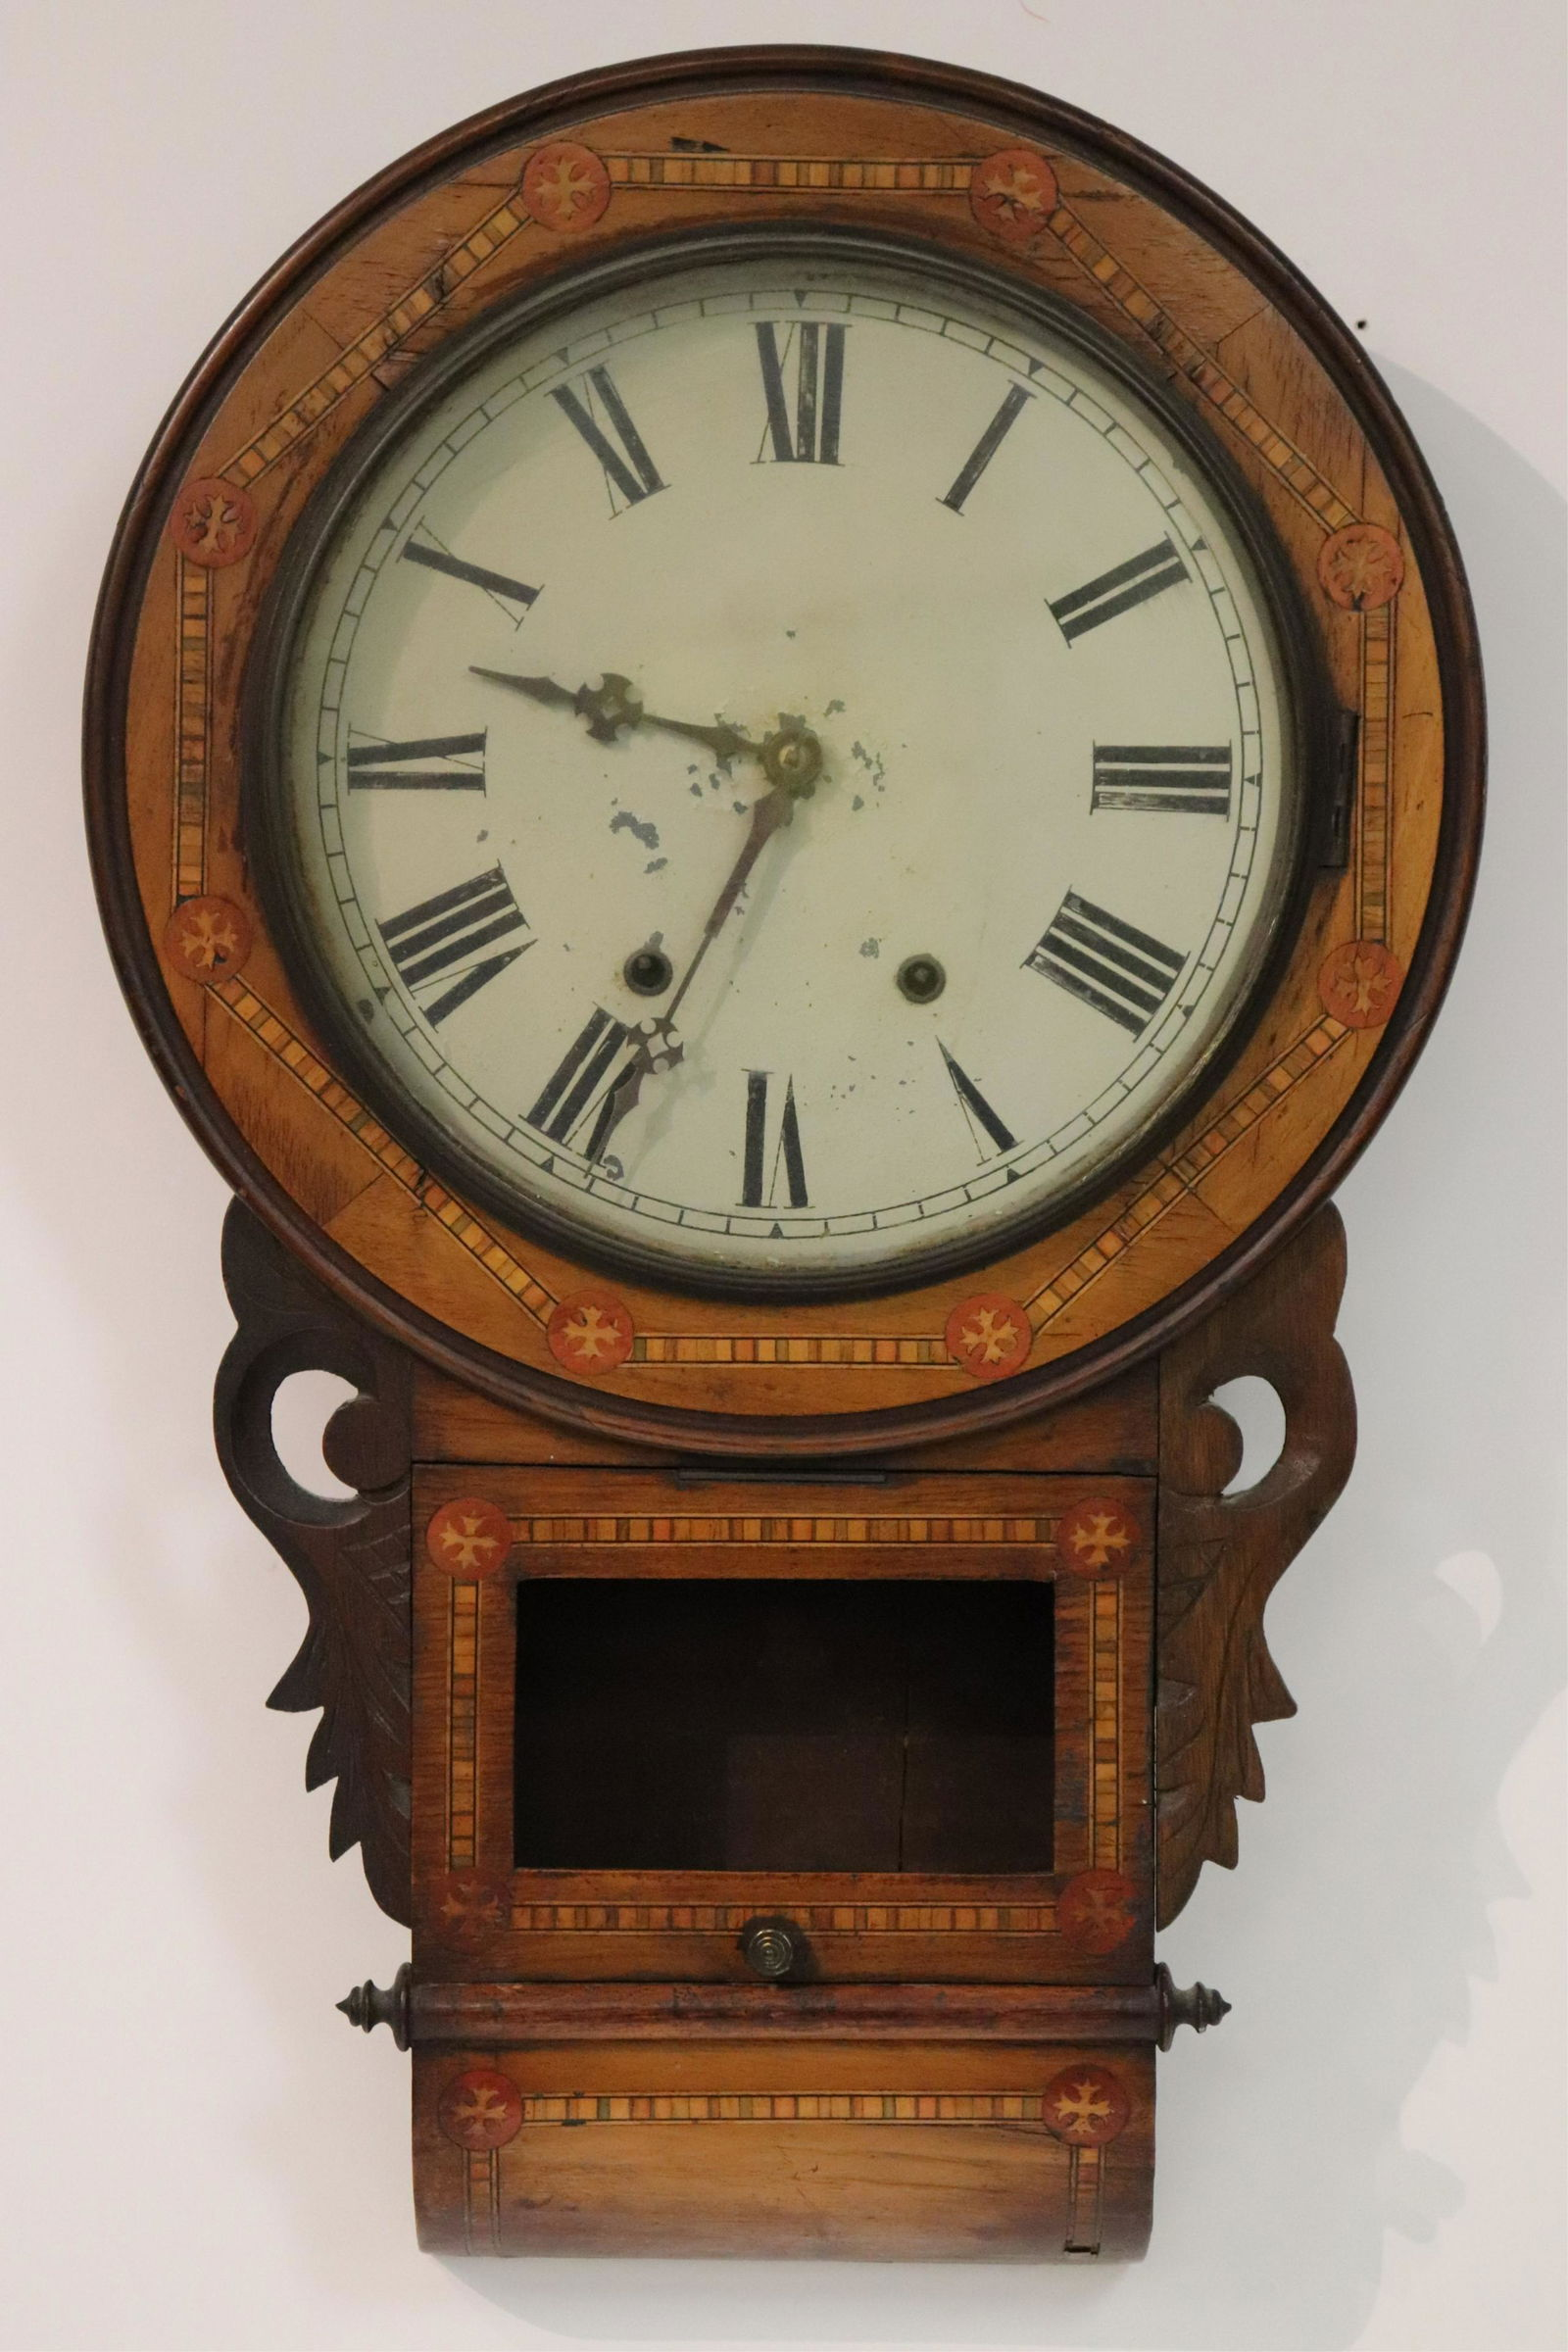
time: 9:34
